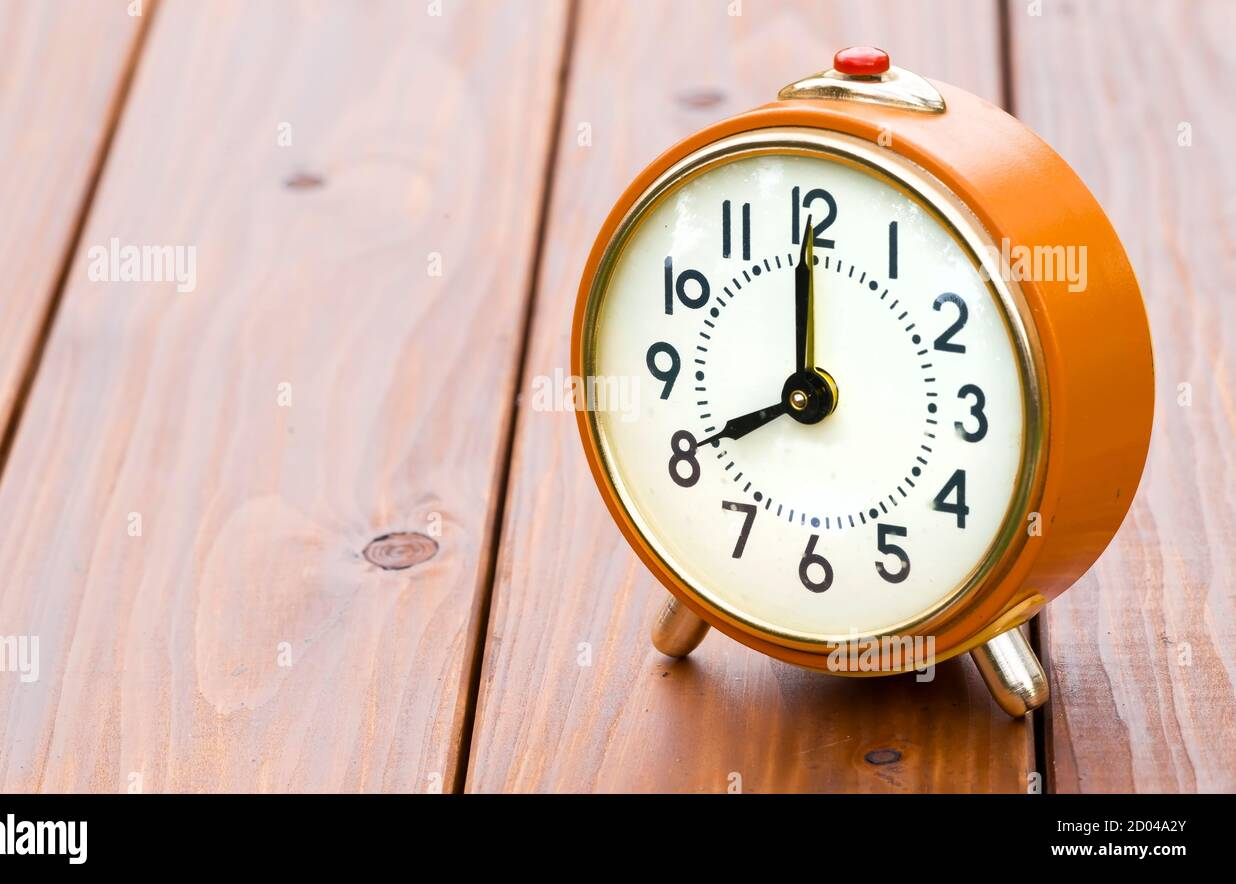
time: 7:59
